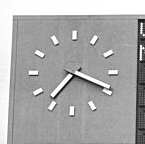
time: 7:18
